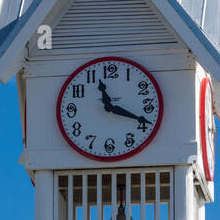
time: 11:19
